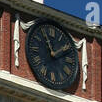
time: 11:08
